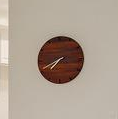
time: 7:41
